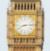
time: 8:14
